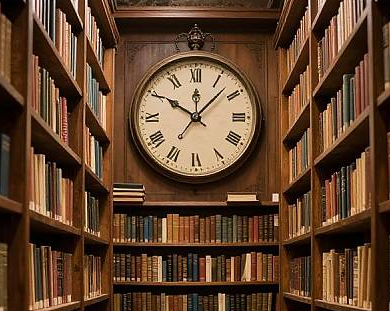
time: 10:07
